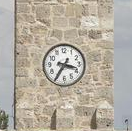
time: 3:35
